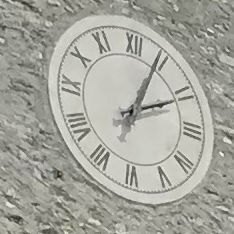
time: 2:04
